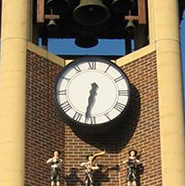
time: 6:32
